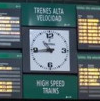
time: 10:43
